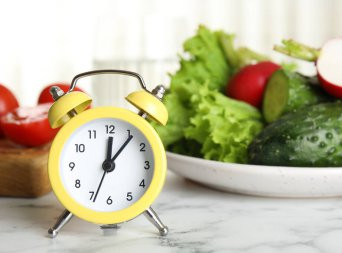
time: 12:06
